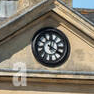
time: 4:01
